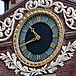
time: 10:42
